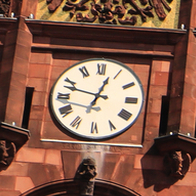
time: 12:47
